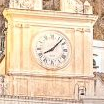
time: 8:07
